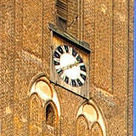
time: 1:40
